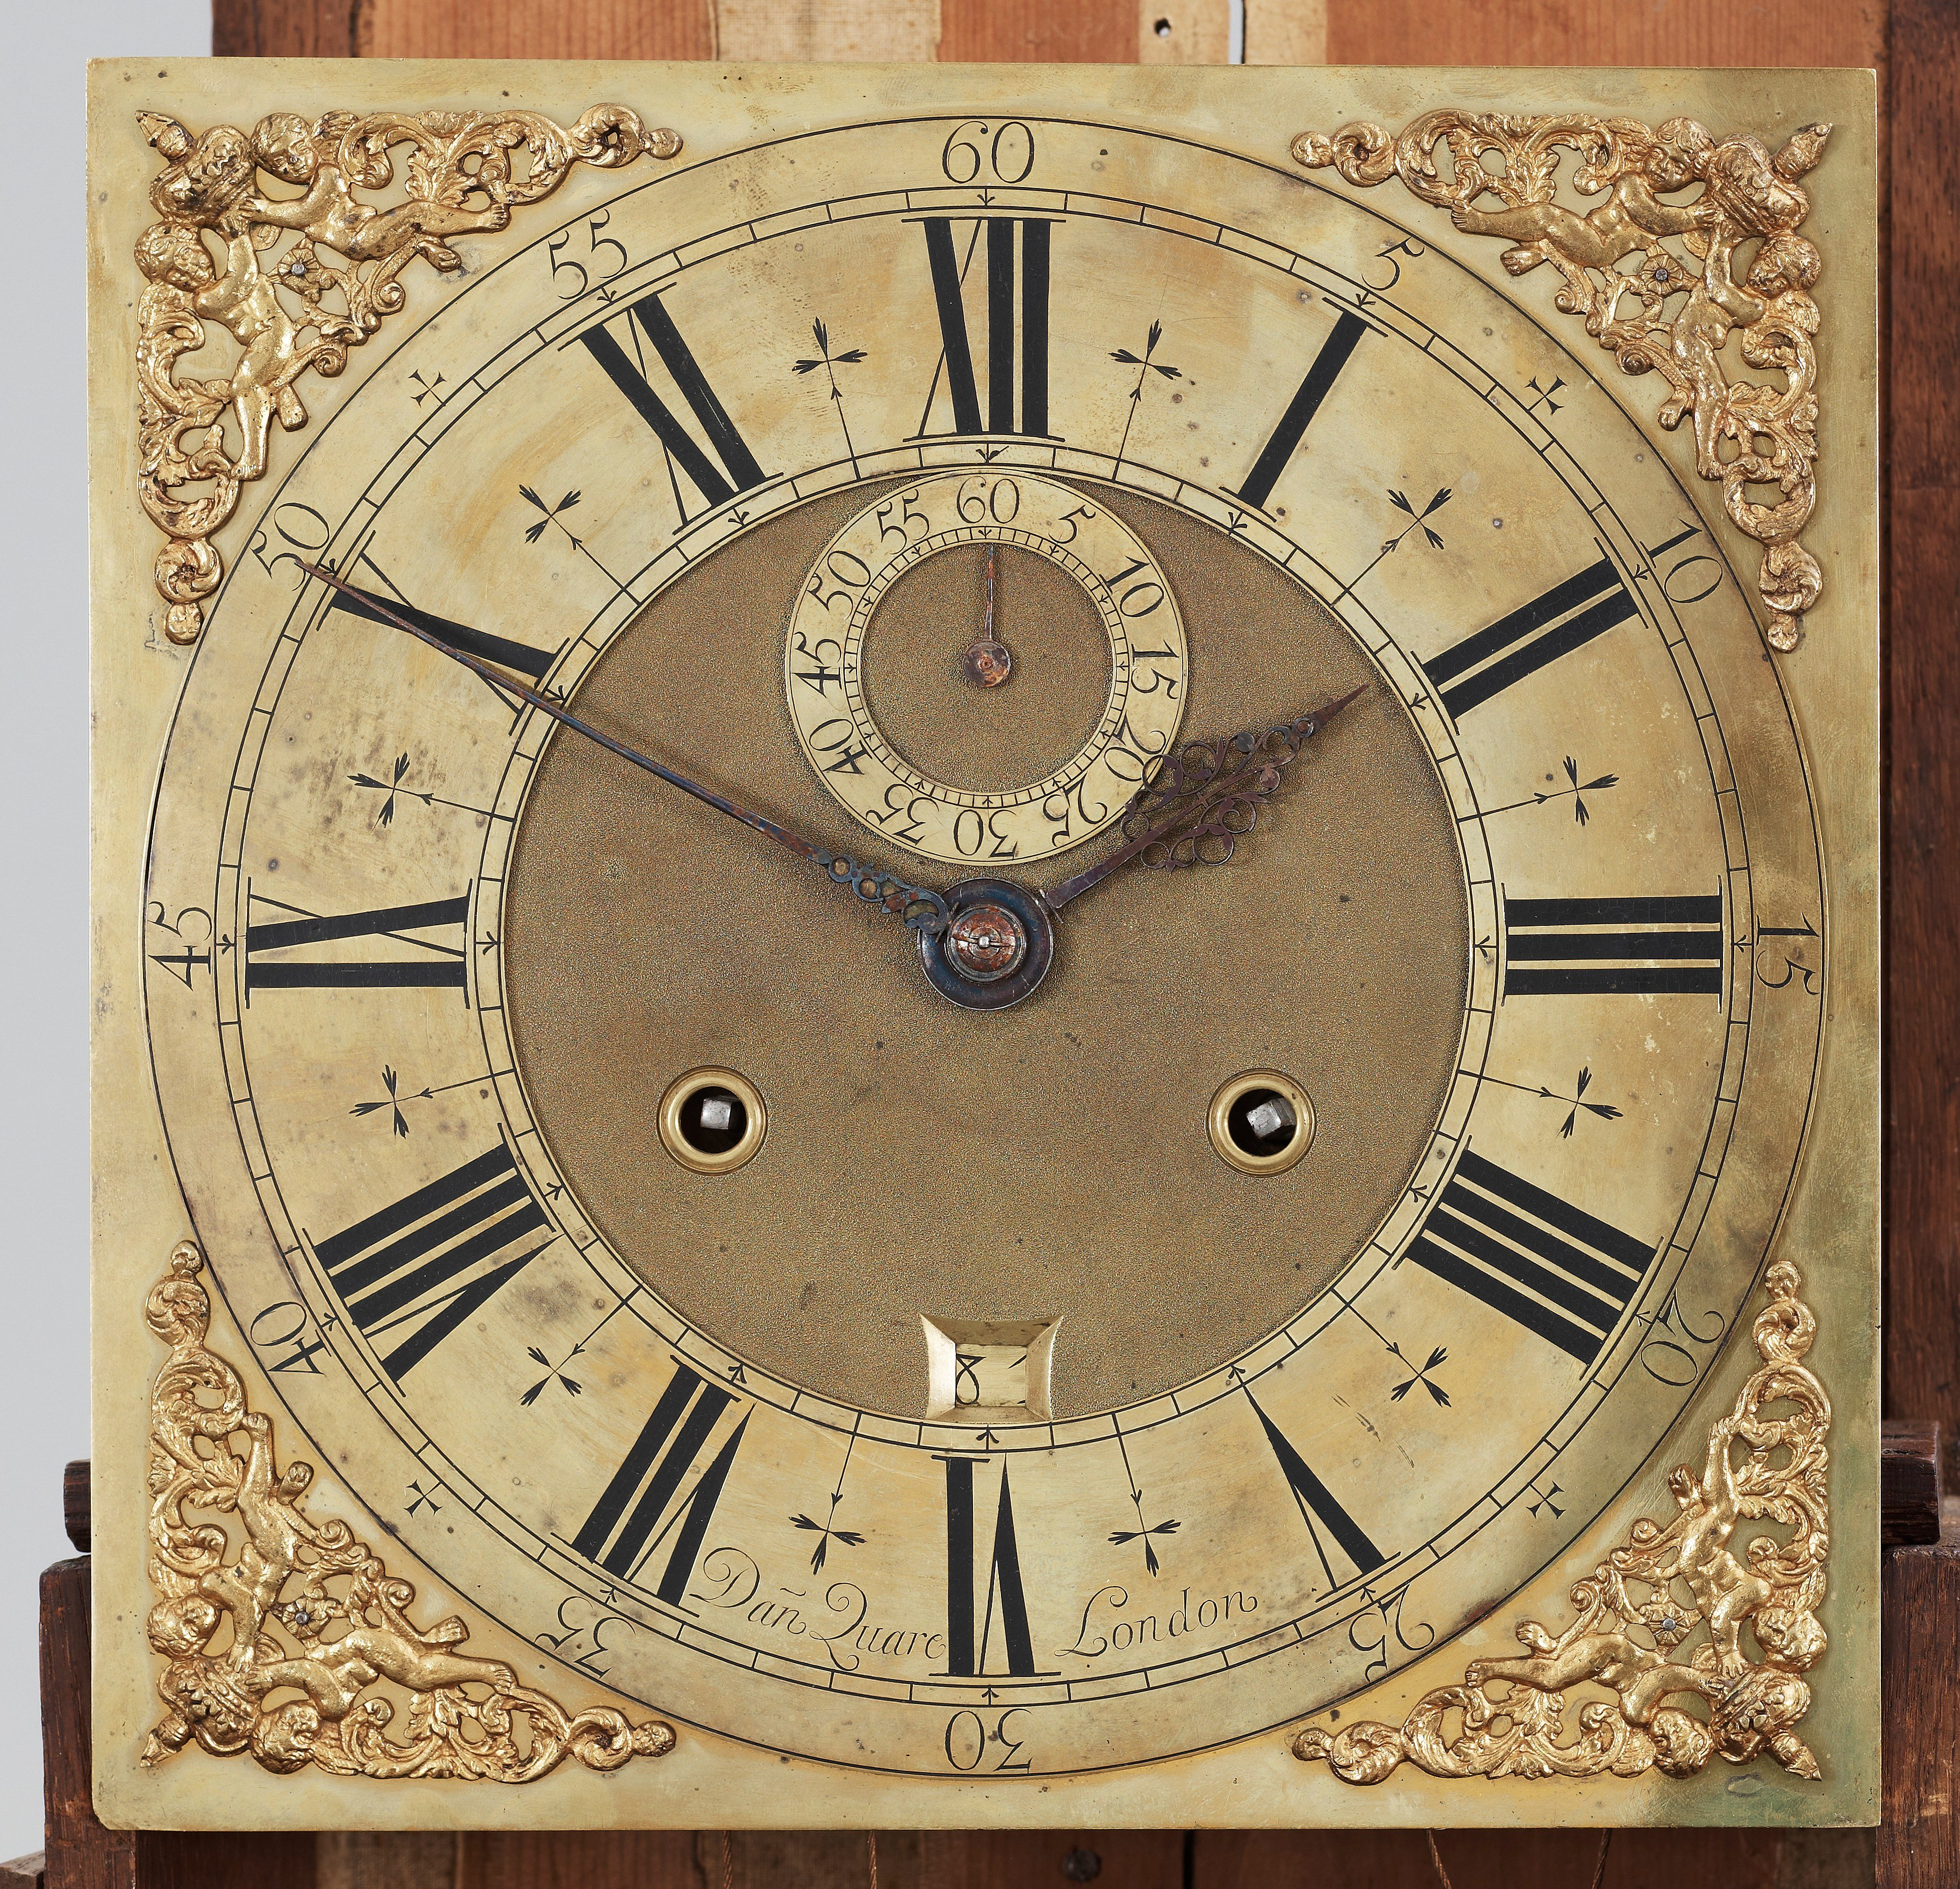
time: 1:49
